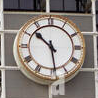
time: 10:28
